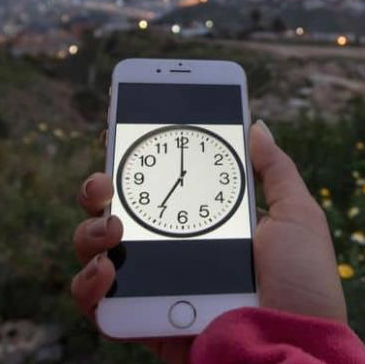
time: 7:00
